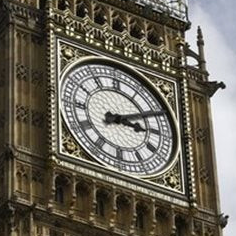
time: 3:10
